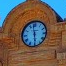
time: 11:28
